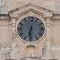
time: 6:31
